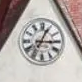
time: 3:04
